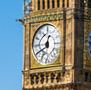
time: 12:40
